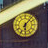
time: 6:06
